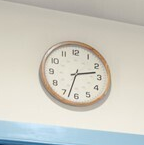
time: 2:32
